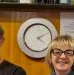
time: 4:10
